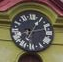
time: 1:13
